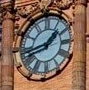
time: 1:42
